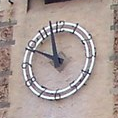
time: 9:57
